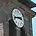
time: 2:42
